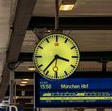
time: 3:36
